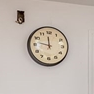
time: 11:46
